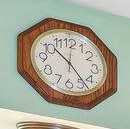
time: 10:23
